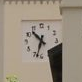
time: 10:33
